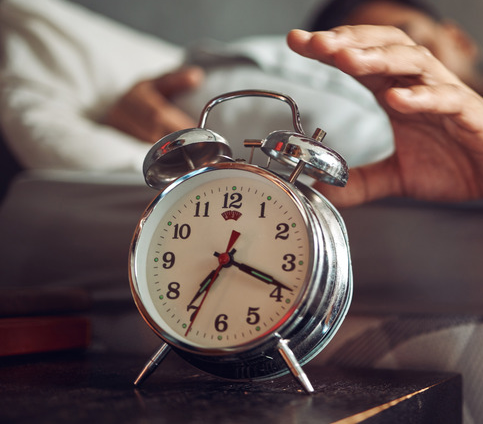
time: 7:18
